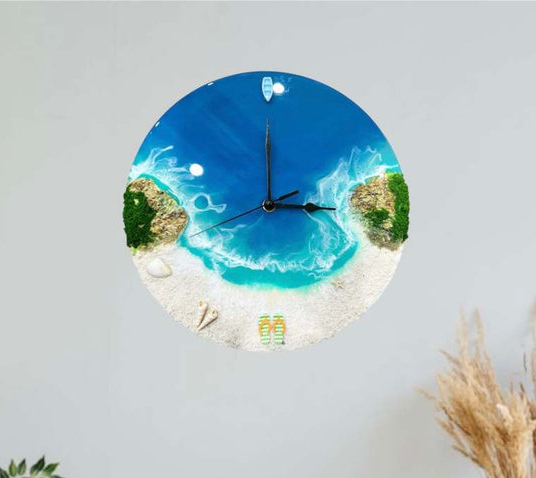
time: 2:59
